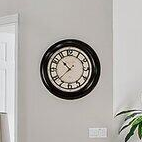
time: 10:37
